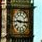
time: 9:15
